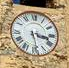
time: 3:28
